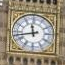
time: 11:42
